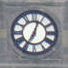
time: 12:34
